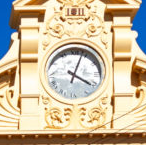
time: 4:03
